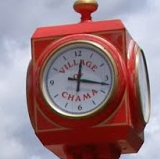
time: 12:17
